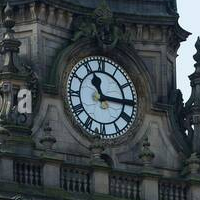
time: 11:15
